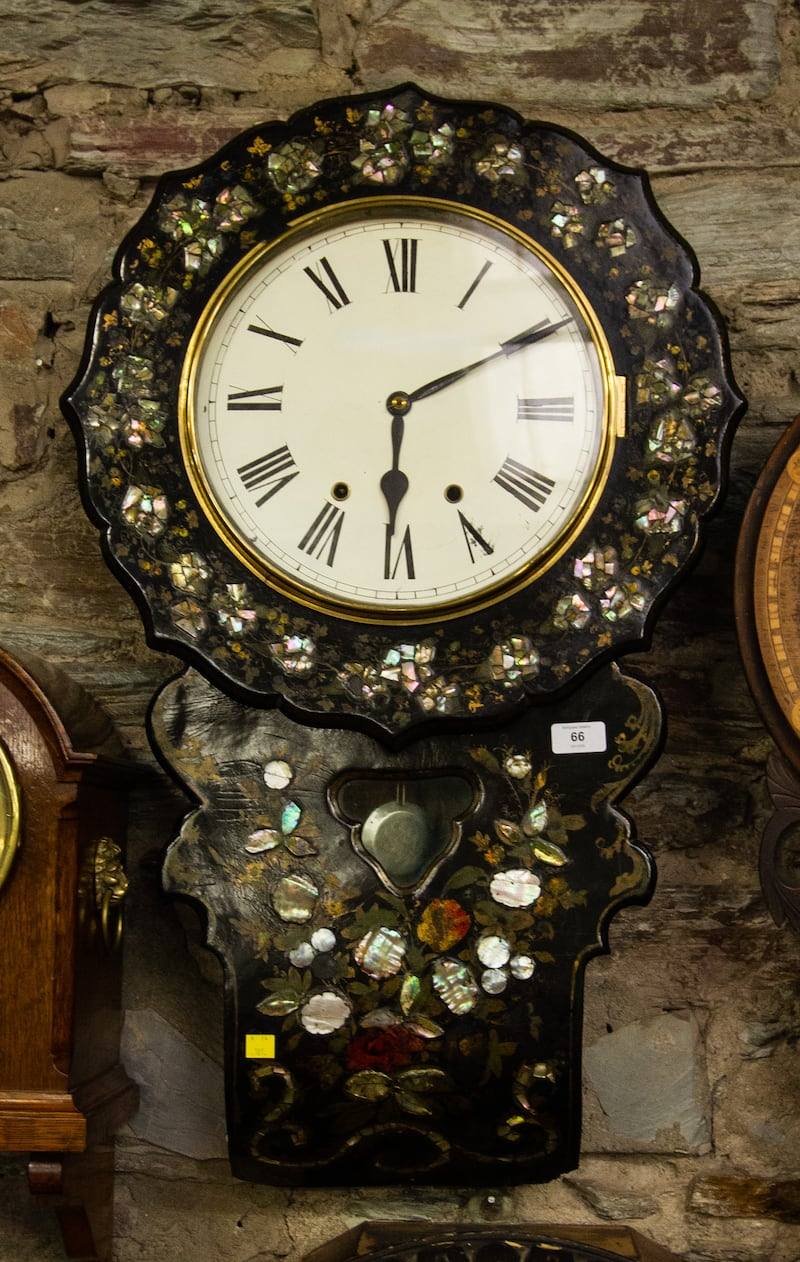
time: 6:10
